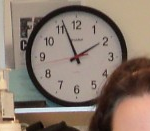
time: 1:56
